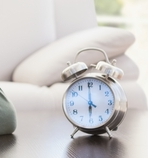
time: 5:59
